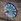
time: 8:14
